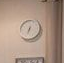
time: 6:32
